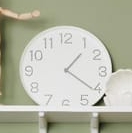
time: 1:21
